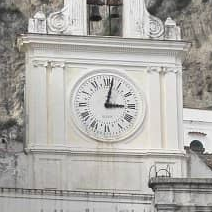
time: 3:02
